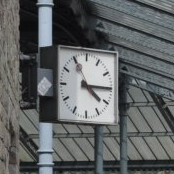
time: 4:14
